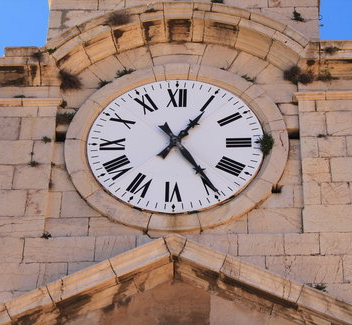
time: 1:24
